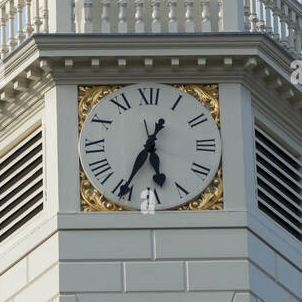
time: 5:34
